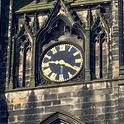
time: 9:20
